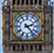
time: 2:23
